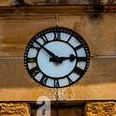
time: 2:51
